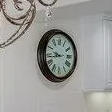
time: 9:43
